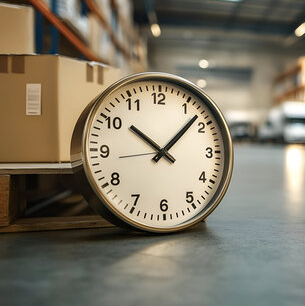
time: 10:07
